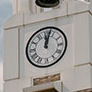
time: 12:02
